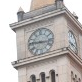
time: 9:16
